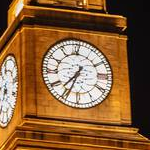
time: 7:34
